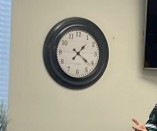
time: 1:21
